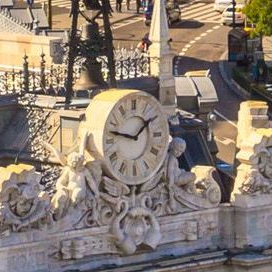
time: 1:47
